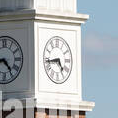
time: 4:43
